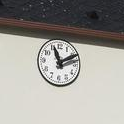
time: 11:10
